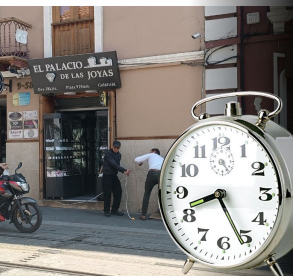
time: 8:25
